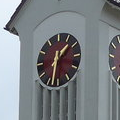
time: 1:32
